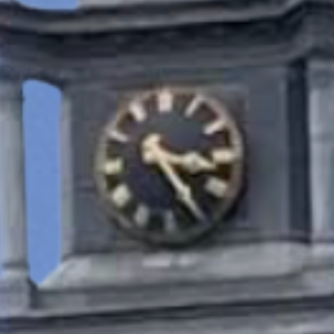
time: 3:24
